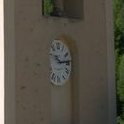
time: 10:13
